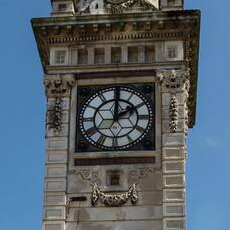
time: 2:00
